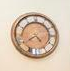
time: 4:40
